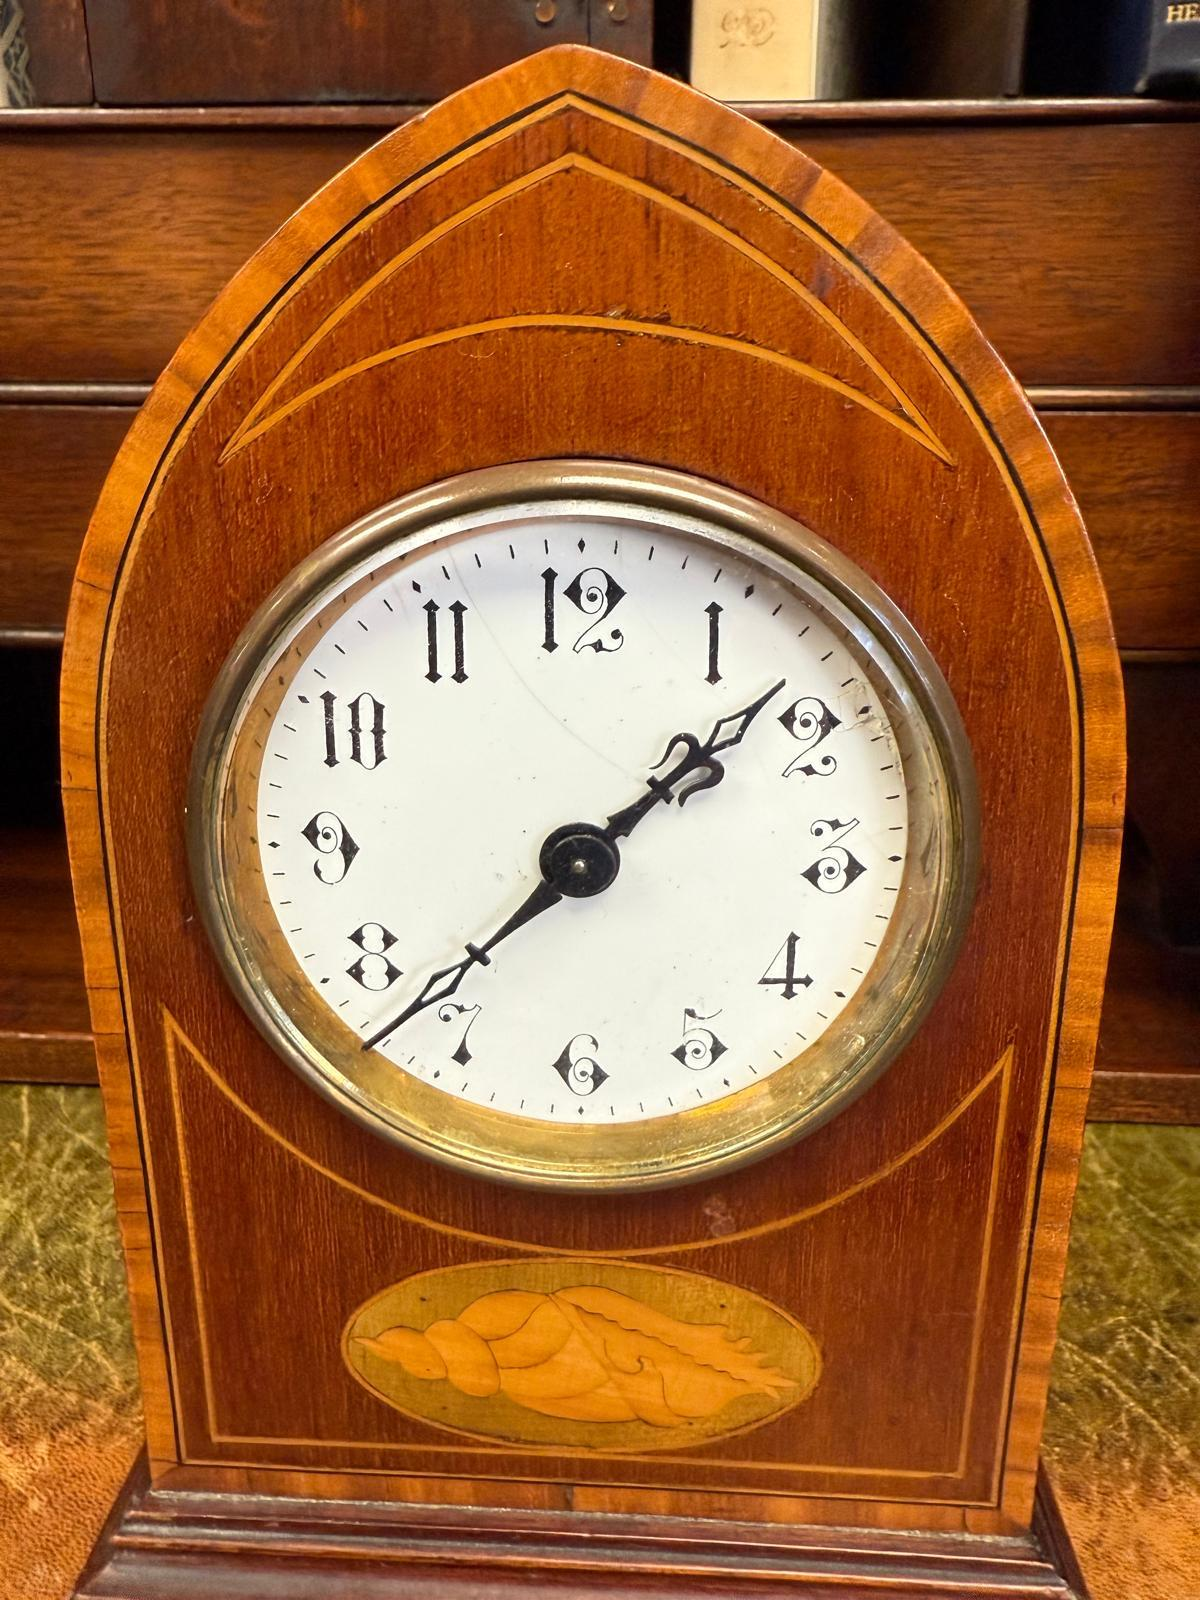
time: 1:37
